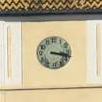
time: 3:17
